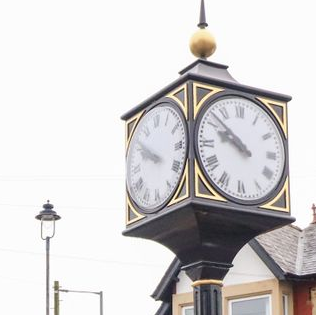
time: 9:51
